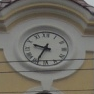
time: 9:34
